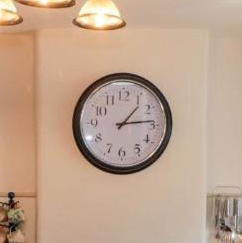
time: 1:13
